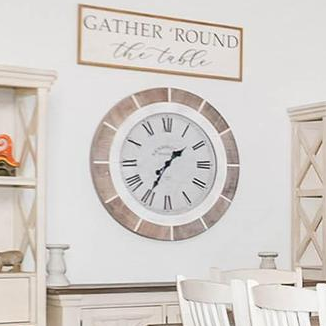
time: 1:35
